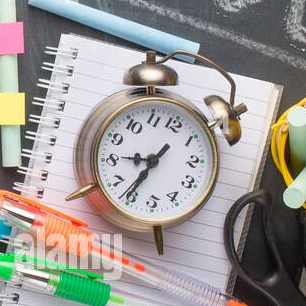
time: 8:35
